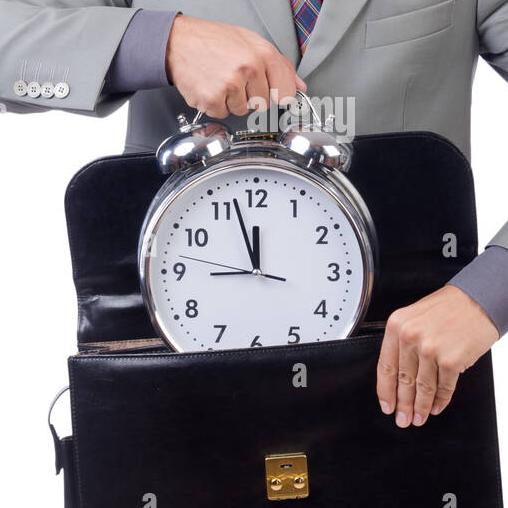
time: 11:57
